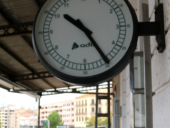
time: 10:24
